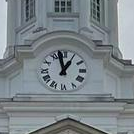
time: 12:57
